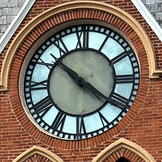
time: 10:21
